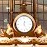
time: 12:26
